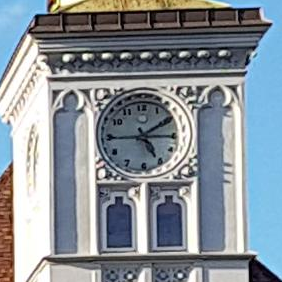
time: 5:09
